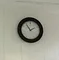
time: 1:54
